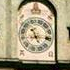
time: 5:14
